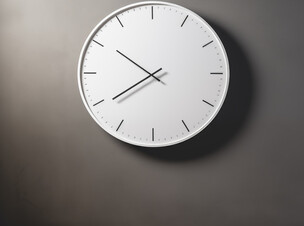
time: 7:50
